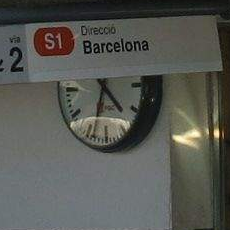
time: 4:33
